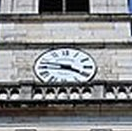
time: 3:46
